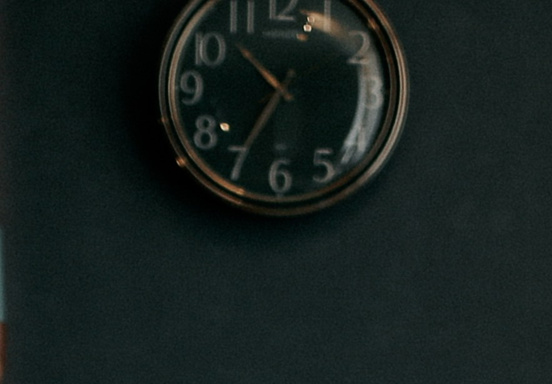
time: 10:35
